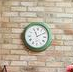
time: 11:10
